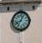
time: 8:04
